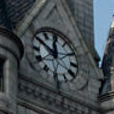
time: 11:50
